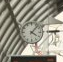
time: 4:07
